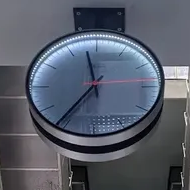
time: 11:36
